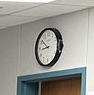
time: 8:51
